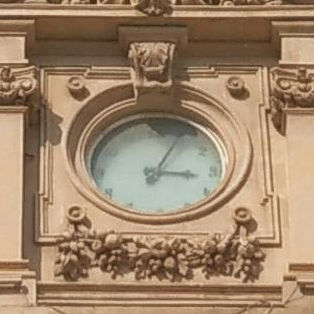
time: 3:04
